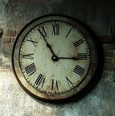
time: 2:54
